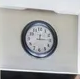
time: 12:14
